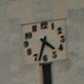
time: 4:33
